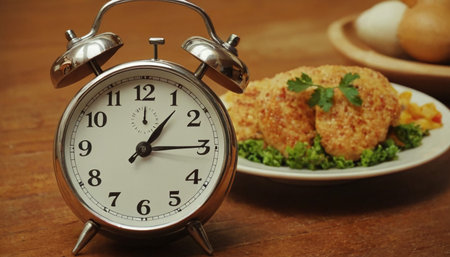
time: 1:14
